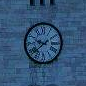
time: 9:38
